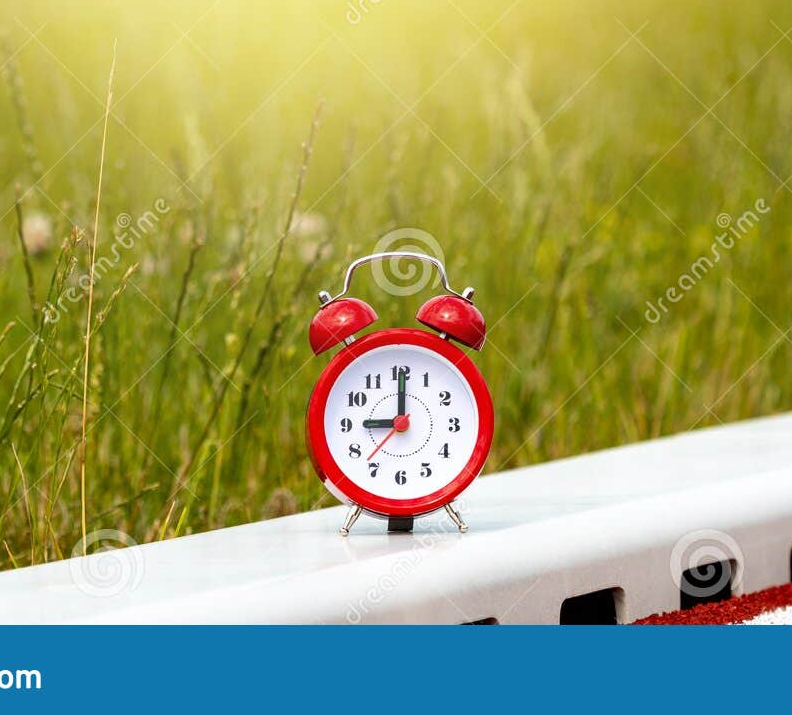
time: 9:00
